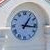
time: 1:16
